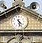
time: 4:28
